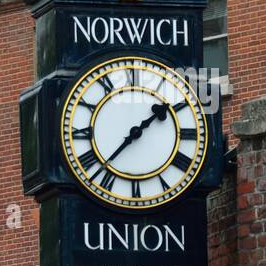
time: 1:37
